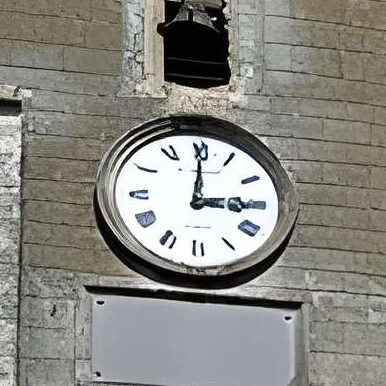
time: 3:00
